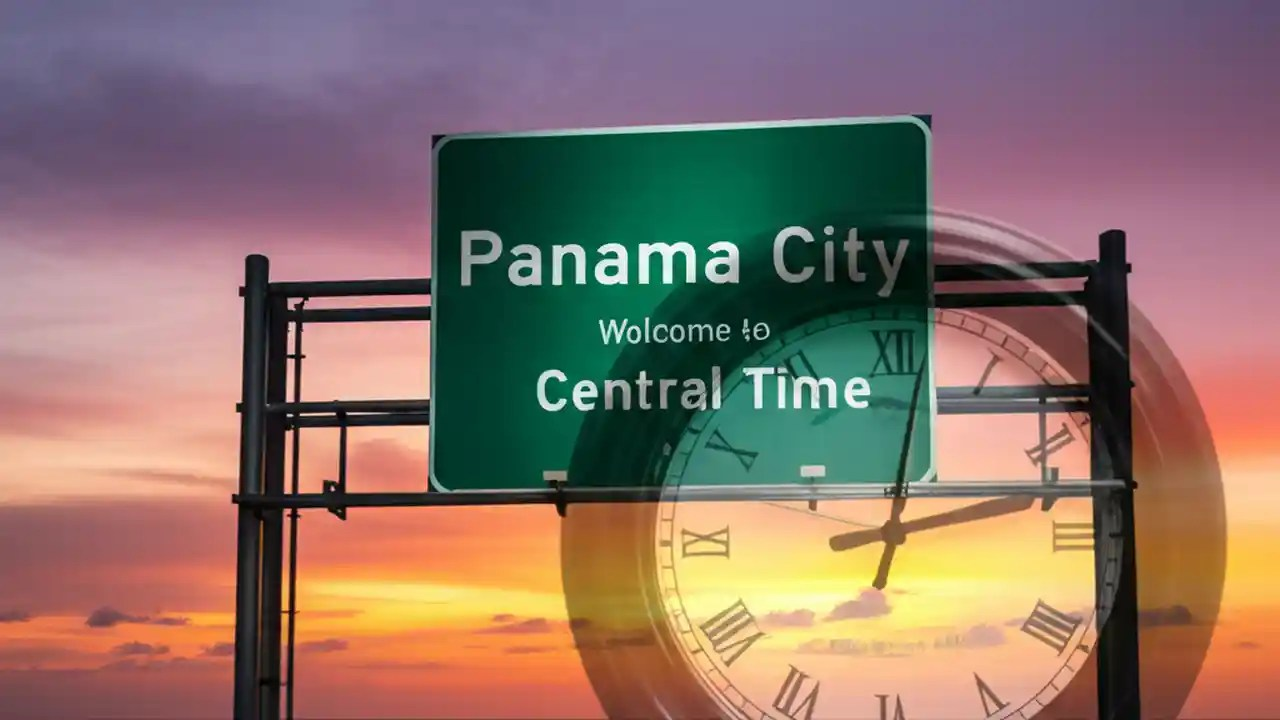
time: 12:13
